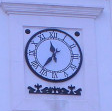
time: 11:36
